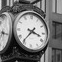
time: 3:36
